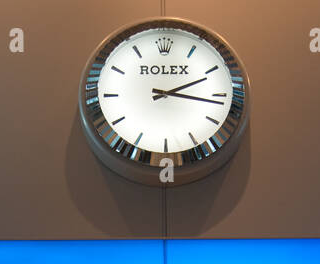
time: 2:16
